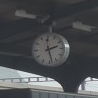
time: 2:28
